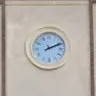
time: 2:11
